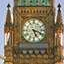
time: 5:18
